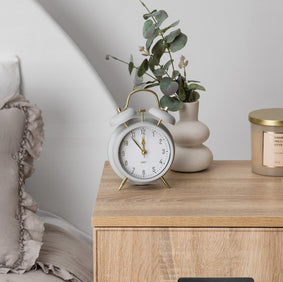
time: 11:53
